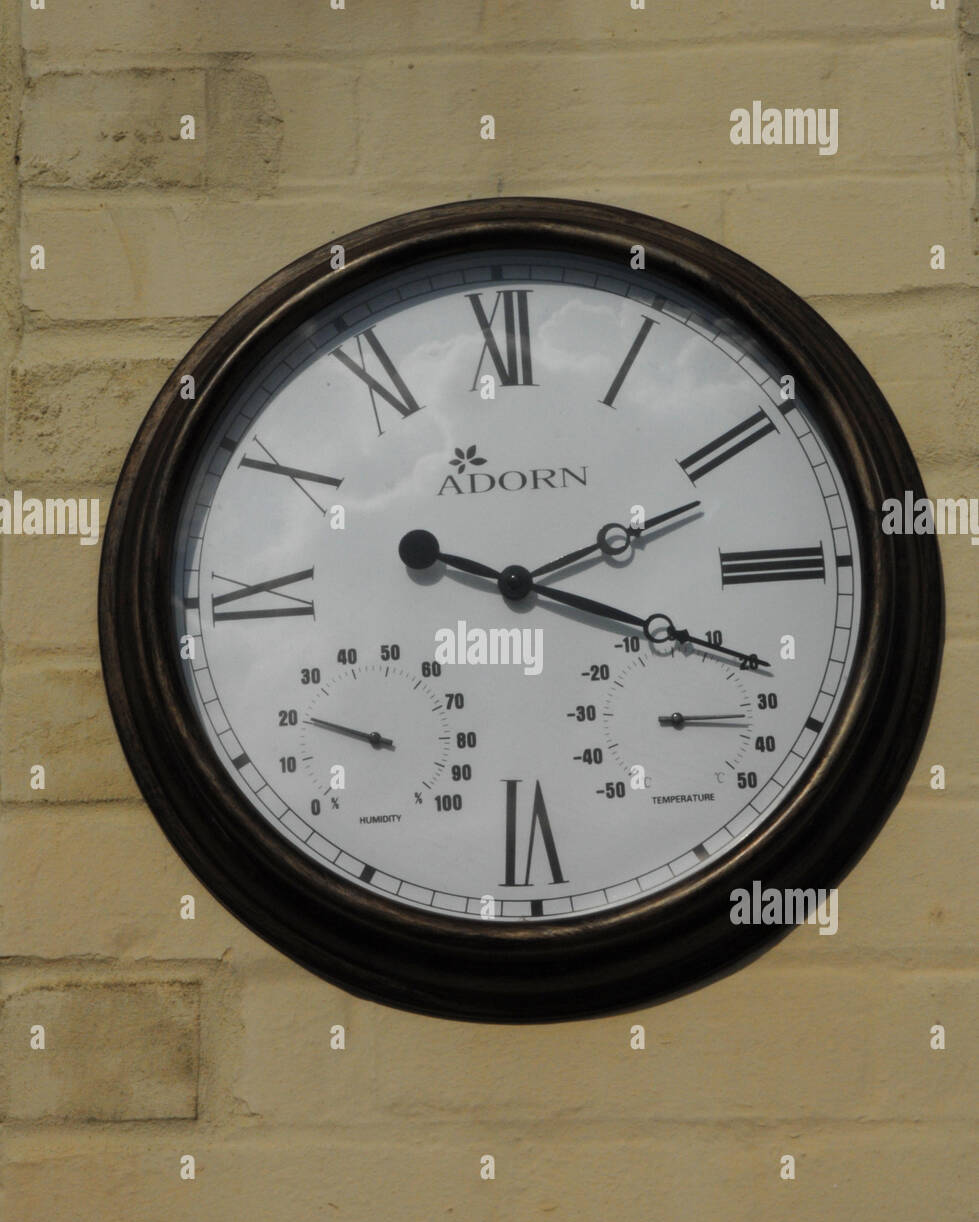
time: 2:18
